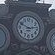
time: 2:49
